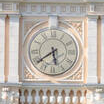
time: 5:39
